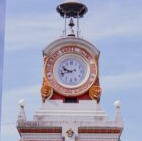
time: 9:42
